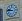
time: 9:45
